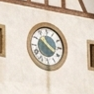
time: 3:50
